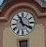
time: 11:20
